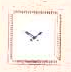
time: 1:50
